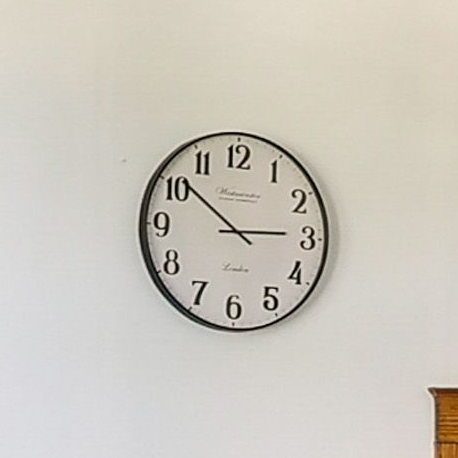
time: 2:51
